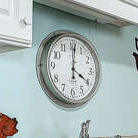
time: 4:00
